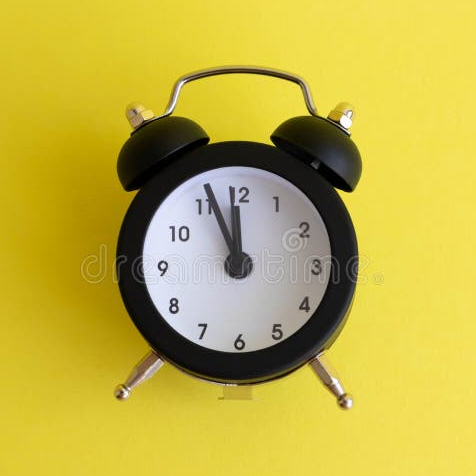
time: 11:56
